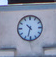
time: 10:32
